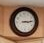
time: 3:14
